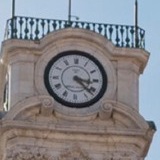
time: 3:22
